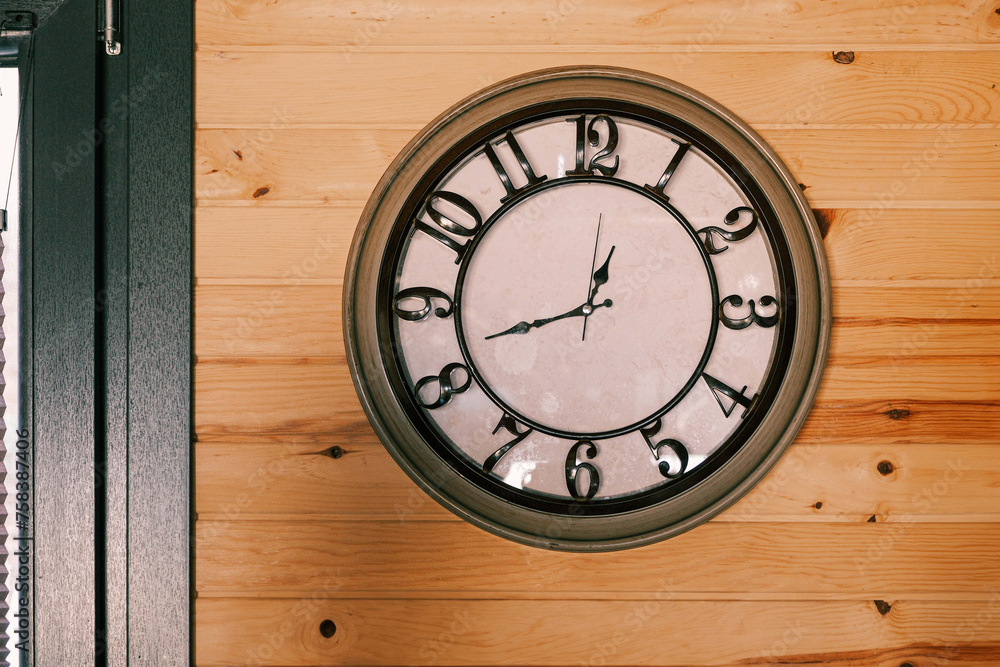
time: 12:42
